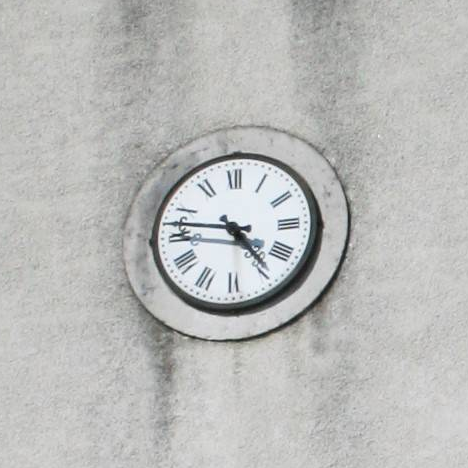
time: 4:46
